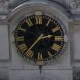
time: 2:36
